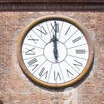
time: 12:00
